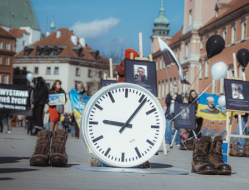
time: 9:06
